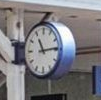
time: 11:13
